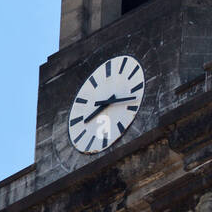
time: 8:17
